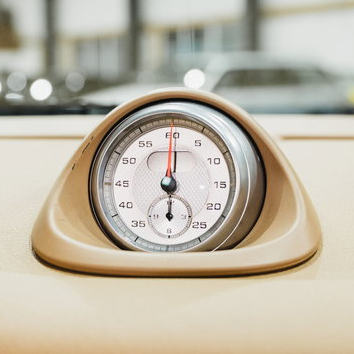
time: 6:00
